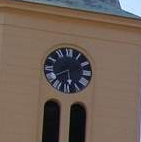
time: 5:40
